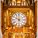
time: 10:00
